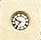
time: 9:36
